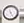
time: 11:25
